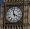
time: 3:58
